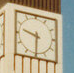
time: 9:30
